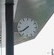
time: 7:39
